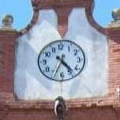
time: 4:34
